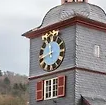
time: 11:41
